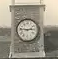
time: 2:46
